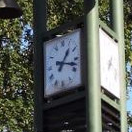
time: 1:17
